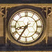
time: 8:35
